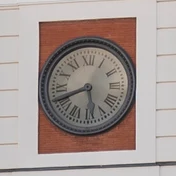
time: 5:41
